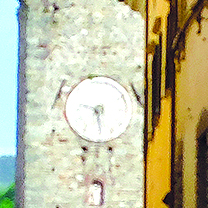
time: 9:29
